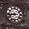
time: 8:43
